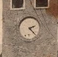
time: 2:22
